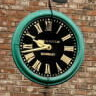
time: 9:42
